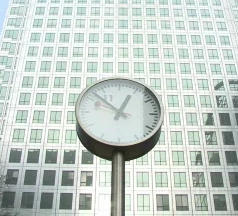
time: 12:52
